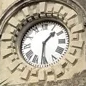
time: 1:31
